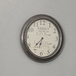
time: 6:36
